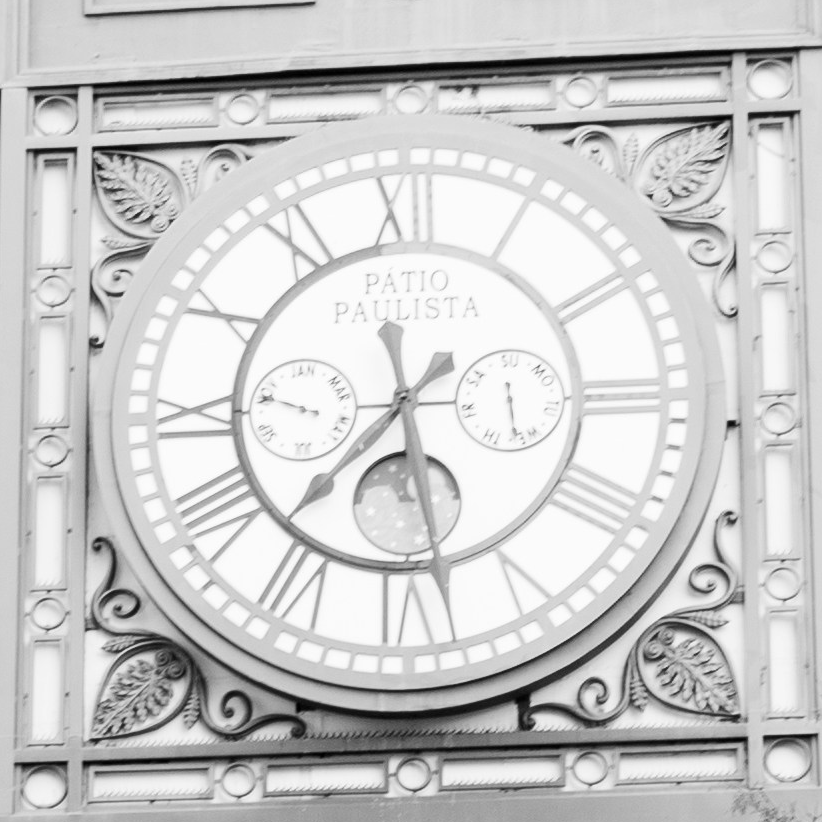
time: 7:28
